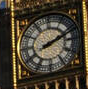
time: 2:11
